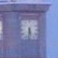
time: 5:31
